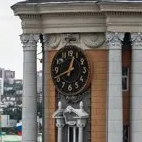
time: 12:41
